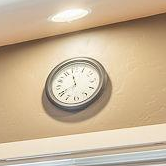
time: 11:40
